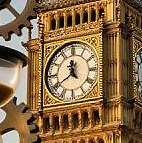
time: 11:39
